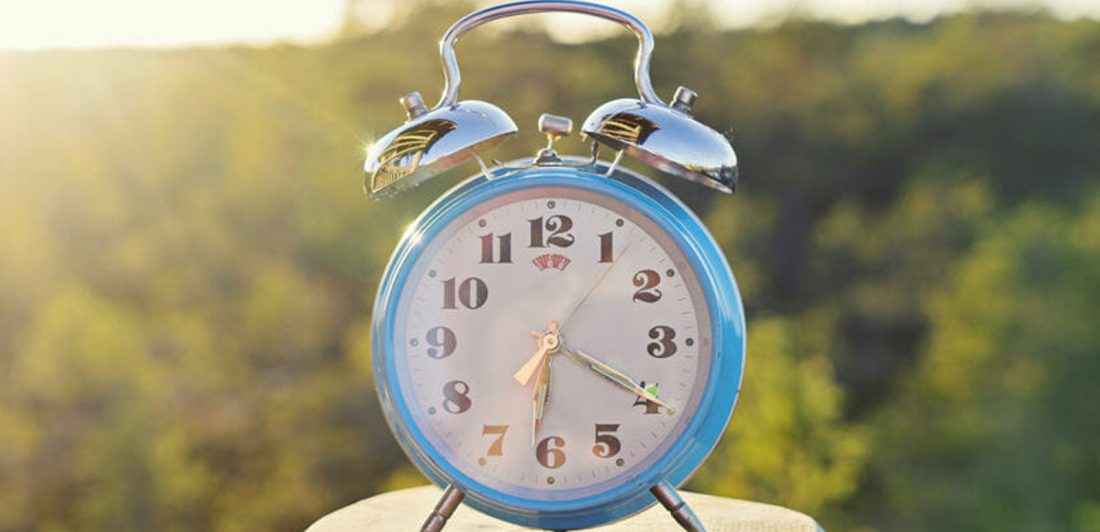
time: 6:19
